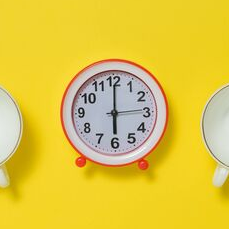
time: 6:00
